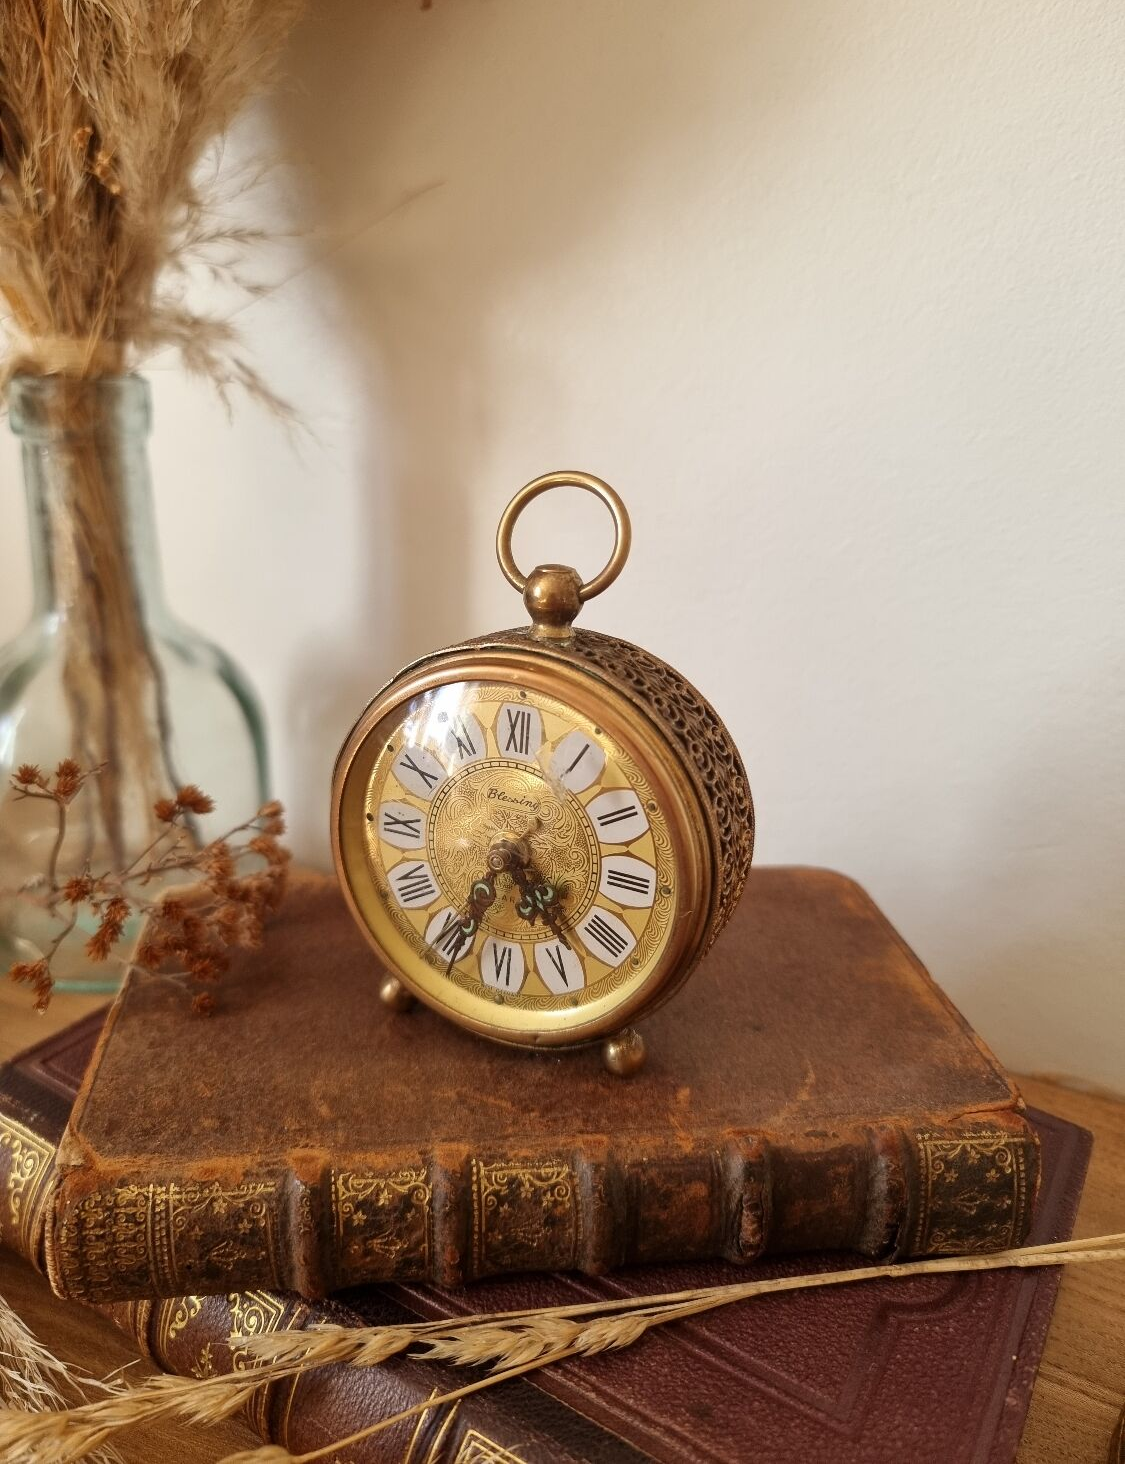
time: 4:34
